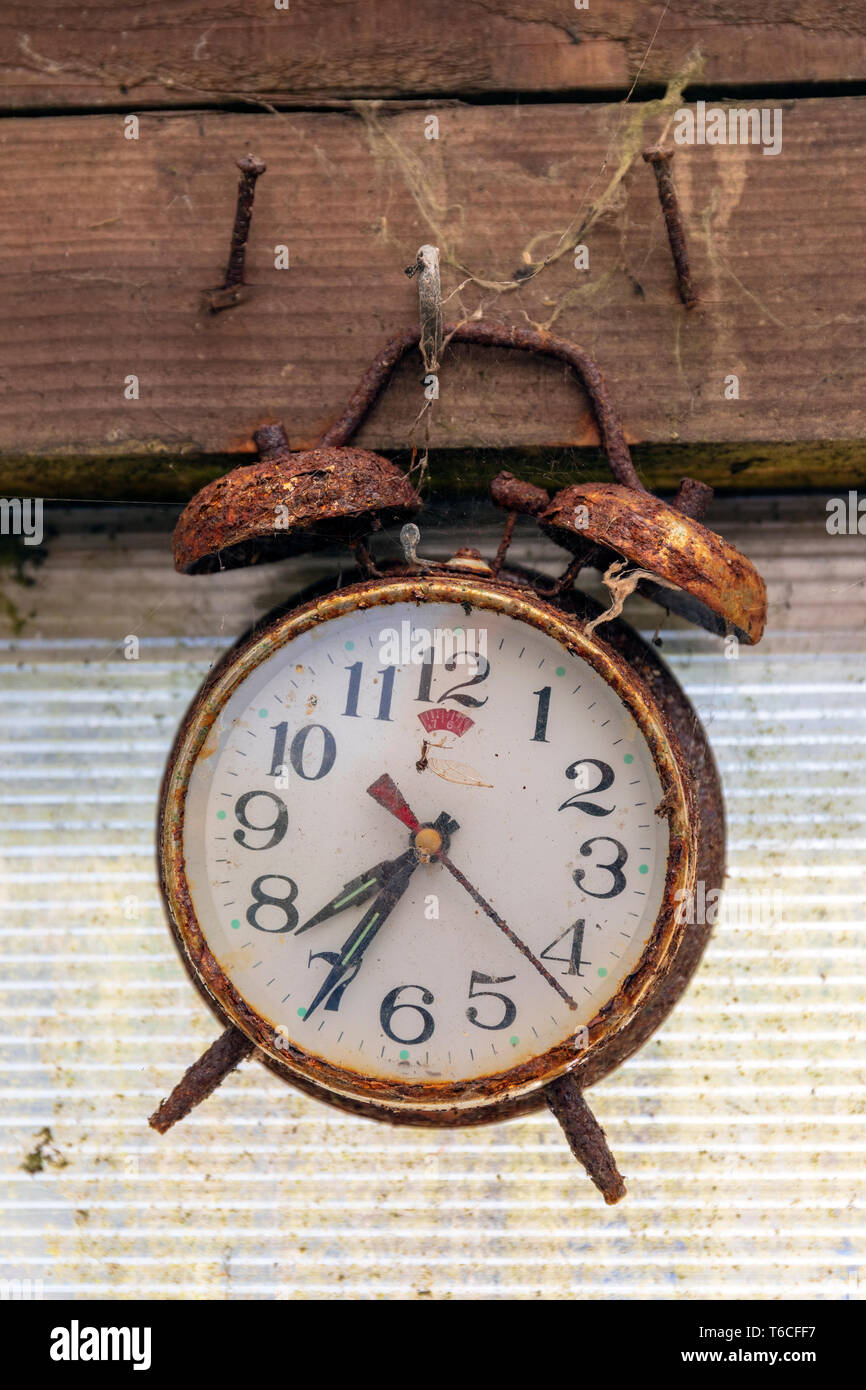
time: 7:34
